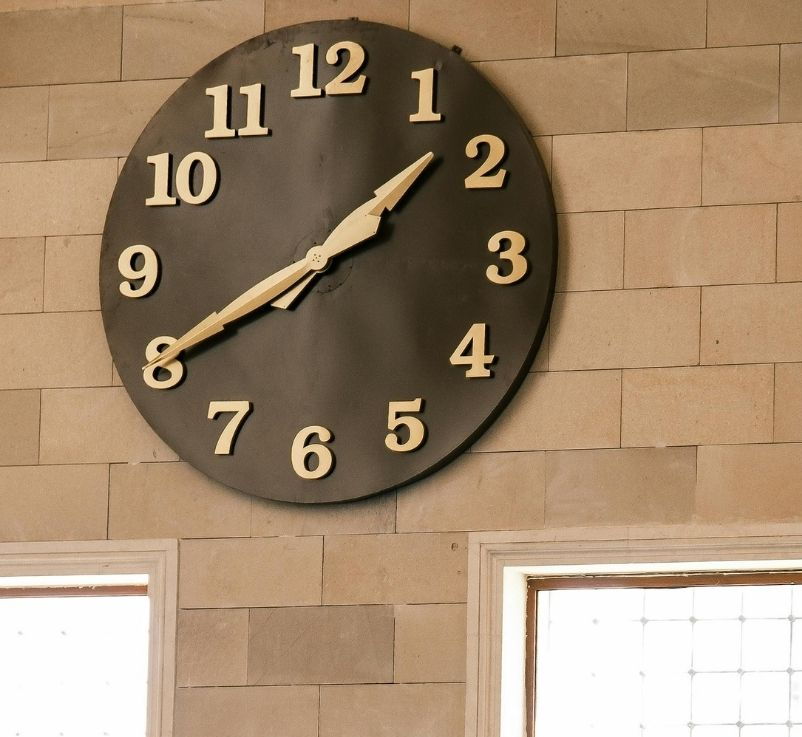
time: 1:40
